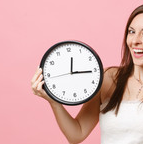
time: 12:15
